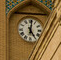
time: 5:01
